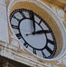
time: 2:00
